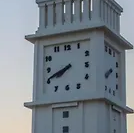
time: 7:40
